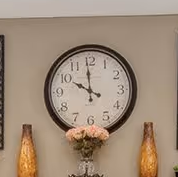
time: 9:59
